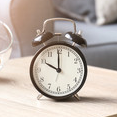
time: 9:59
